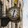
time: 12:32
